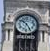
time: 10:24
